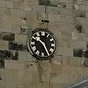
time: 10:25
